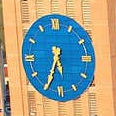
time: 5:34
